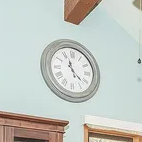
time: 11:21
